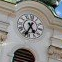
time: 4:34
